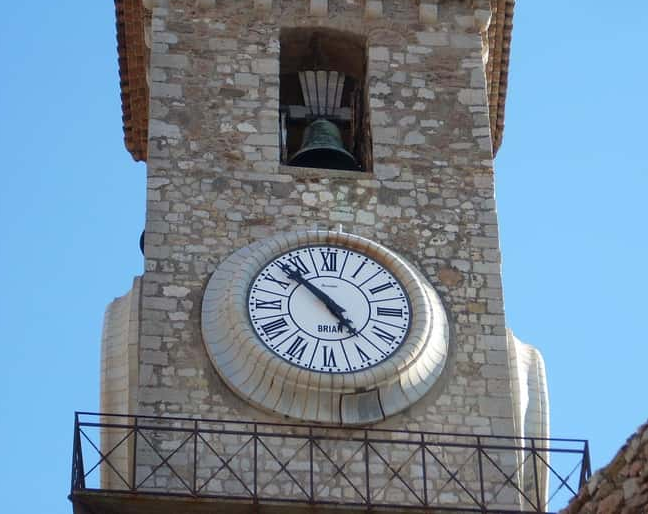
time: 4:52
